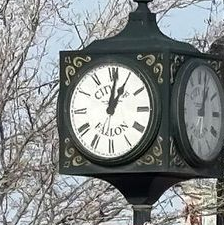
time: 1:01
